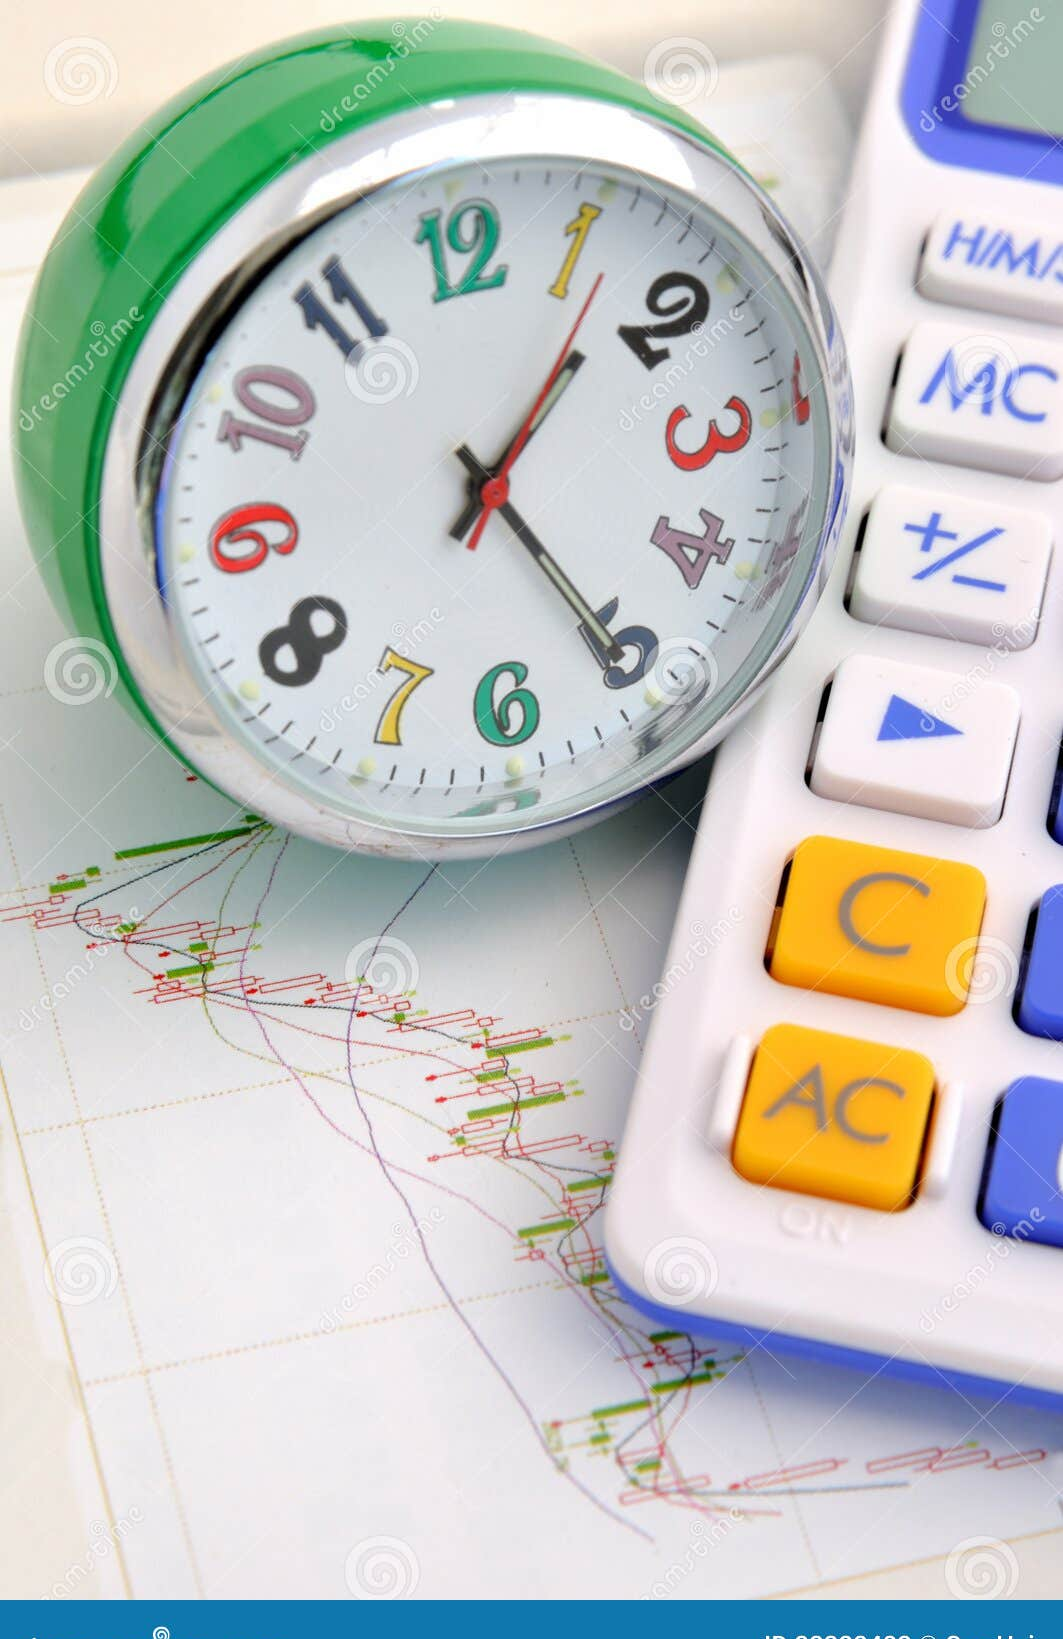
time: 1:25
